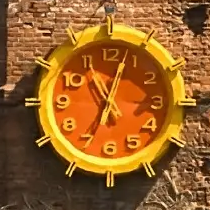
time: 11:03
